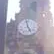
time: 4:57
